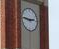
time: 2:46
